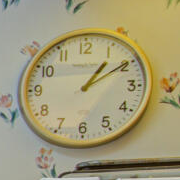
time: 1:09
